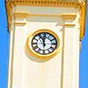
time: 11:56
